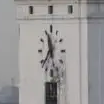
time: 11:37
